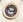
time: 2:52
